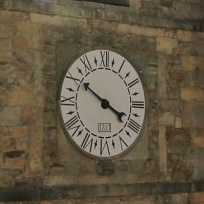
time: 3:50
